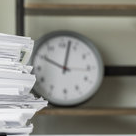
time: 10:02
